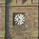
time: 10:36
